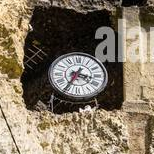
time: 3:35
